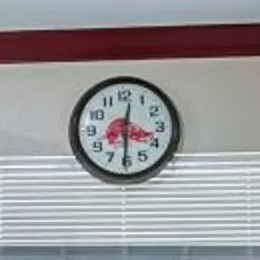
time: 12:30
